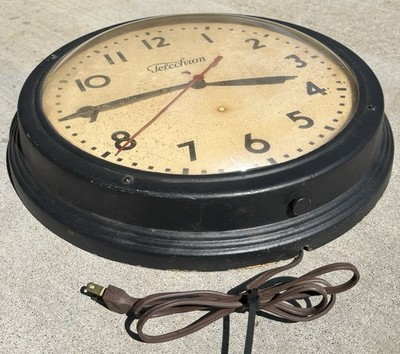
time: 2:40
